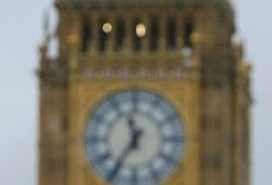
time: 11:35
